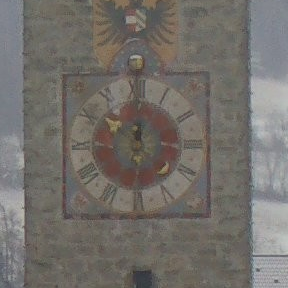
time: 10:00
